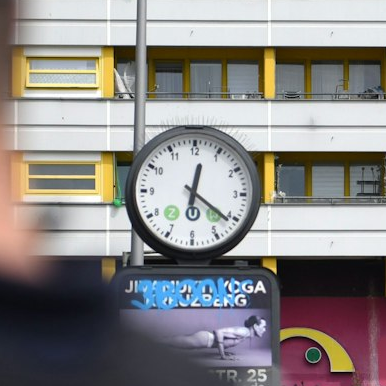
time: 12:21
